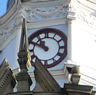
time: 10:49
